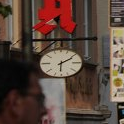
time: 6:10
